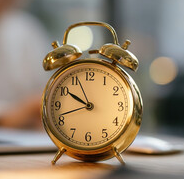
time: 9:56
